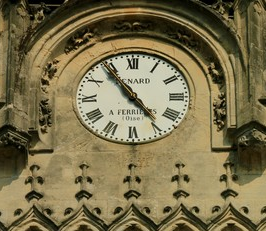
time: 4:54
